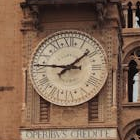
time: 1:46
